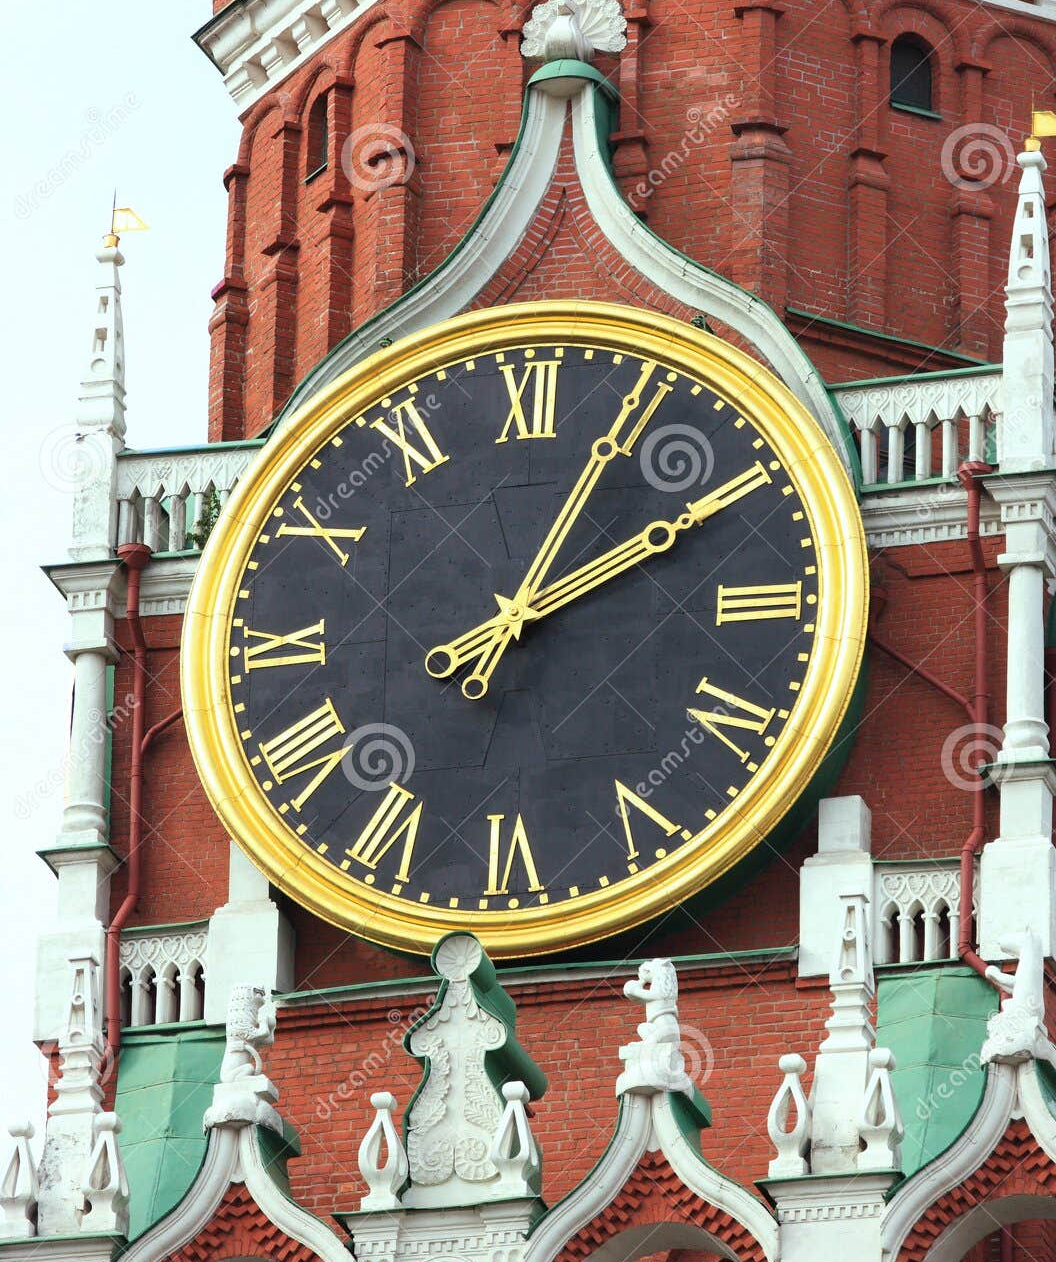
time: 2:04
